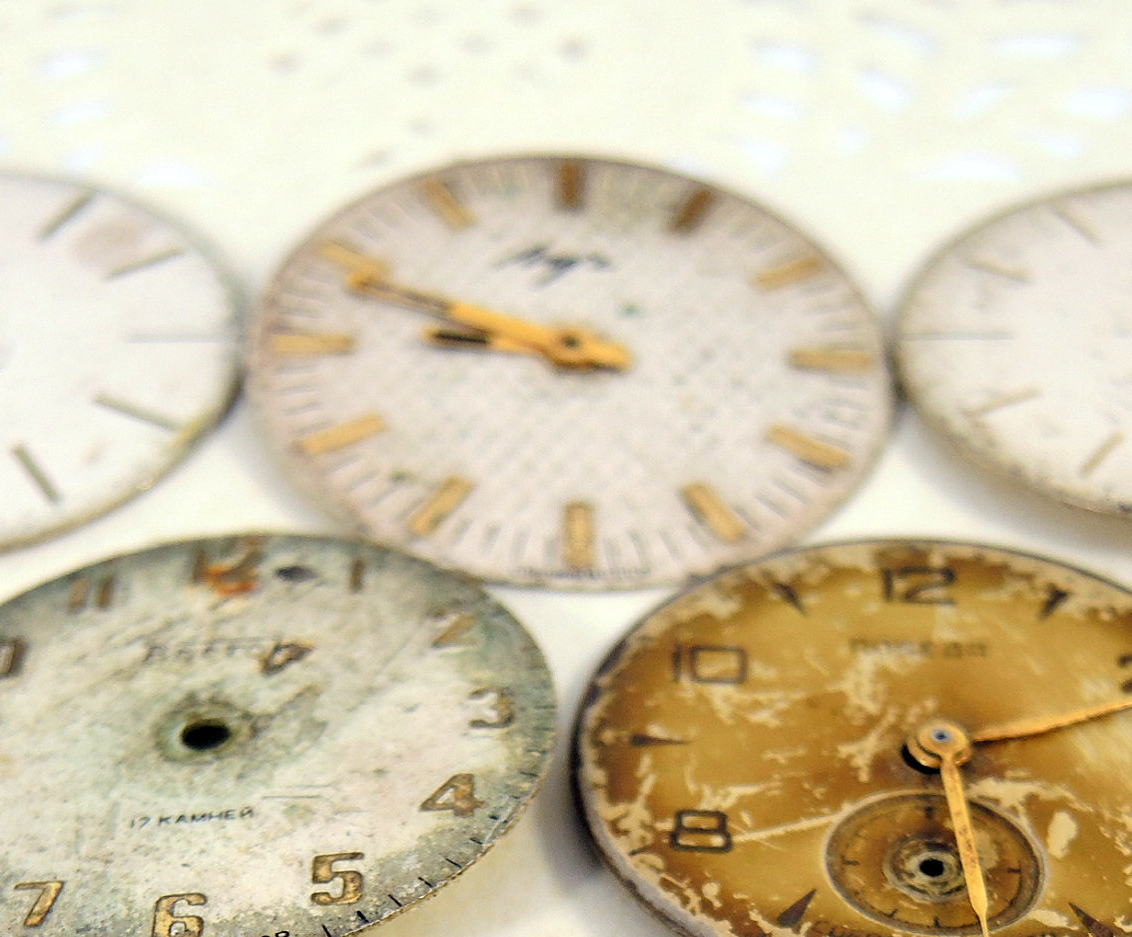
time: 8:48
